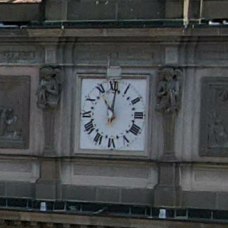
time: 11:01
